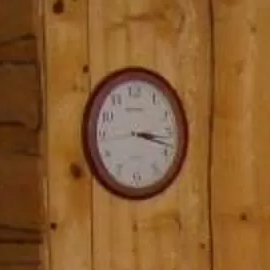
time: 3:18
